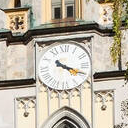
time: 10:18
